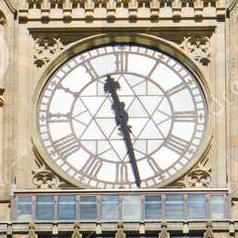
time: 11:27
